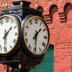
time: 1:30
